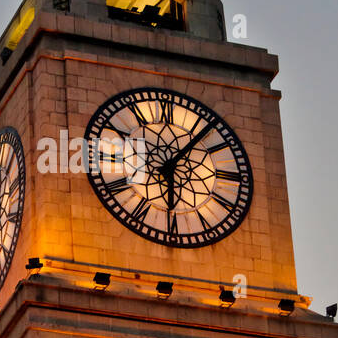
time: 6:06
